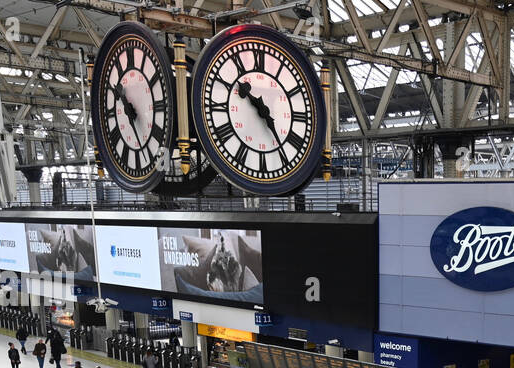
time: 10:24
